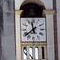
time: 11:38
